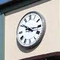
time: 10:15
